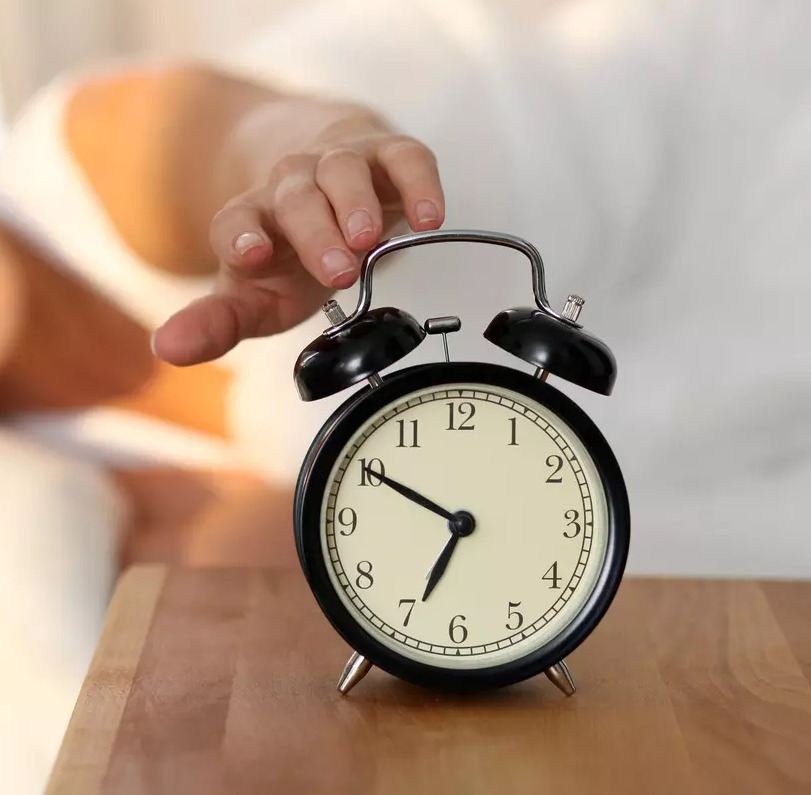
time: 6:50
